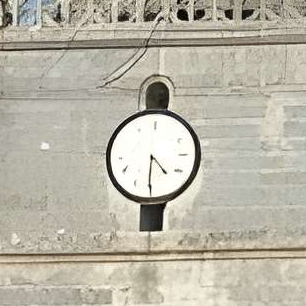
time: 4:30
